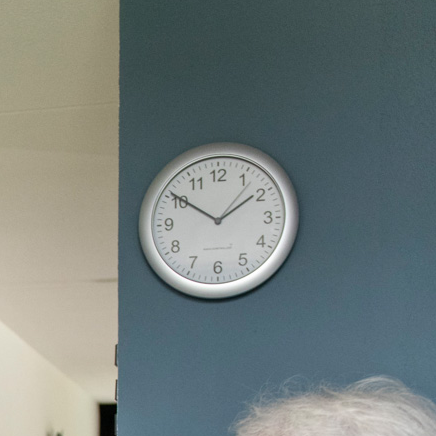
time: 1:50
